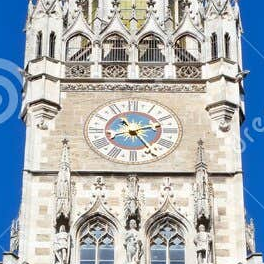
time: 2:24
